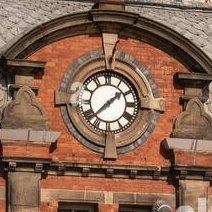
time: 1:37
